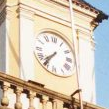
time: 7:36
